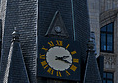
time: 2:18
